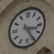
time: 3:25
